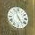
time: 4:57
